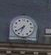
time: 6:39
